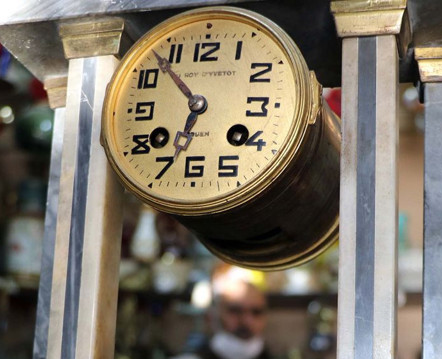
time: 6:52
